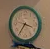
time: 3:35
